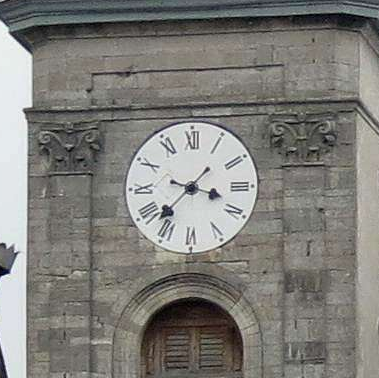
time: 3:37
